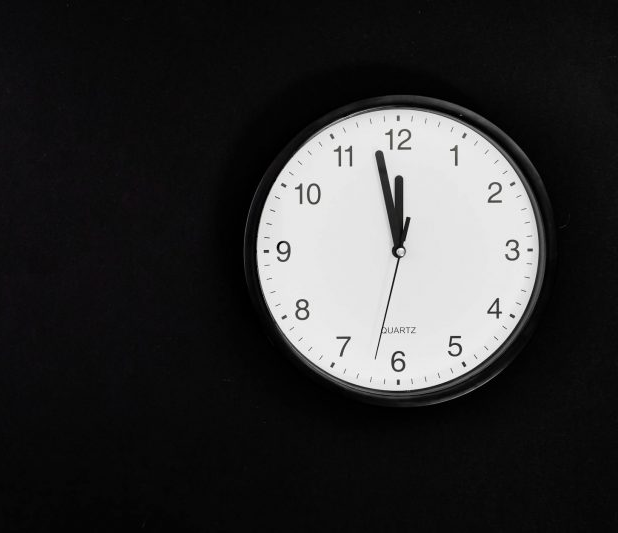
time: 11:57
